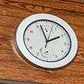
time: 1:57
